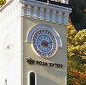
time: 4:13
